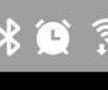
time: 2:58
